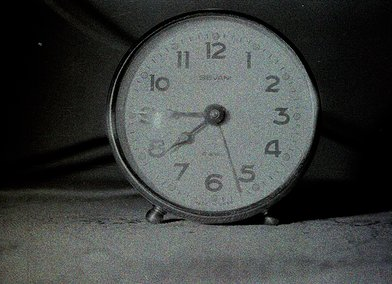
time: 7:45
